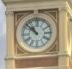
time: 10:52
